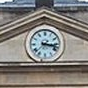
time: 3:17
